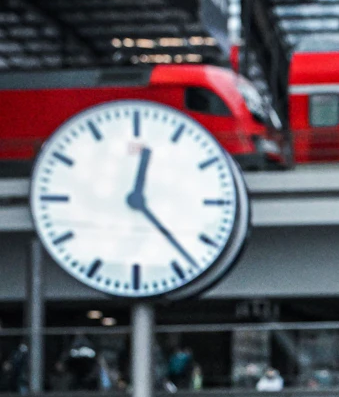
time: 12:23
